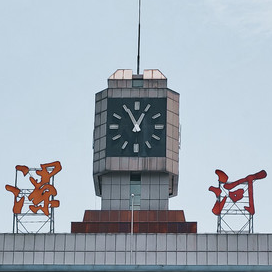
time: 12:55
